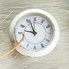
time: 8:56
